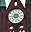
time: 6:43
